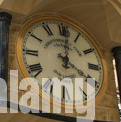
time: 4:01
